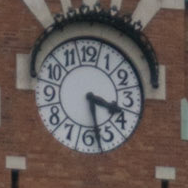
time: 3:28
